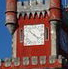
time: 4:22
